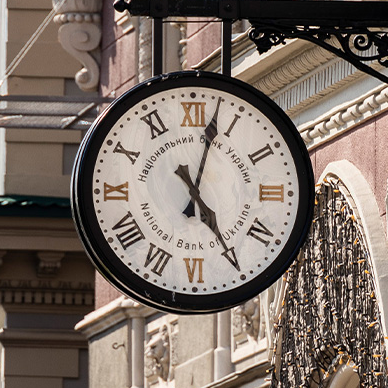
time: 5:02
